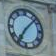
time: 7:07
